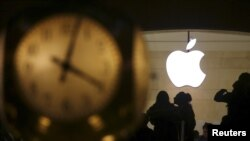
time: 4:02
